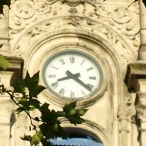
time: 8:21
